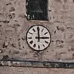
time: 3:00
